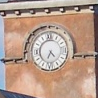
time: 4:33
